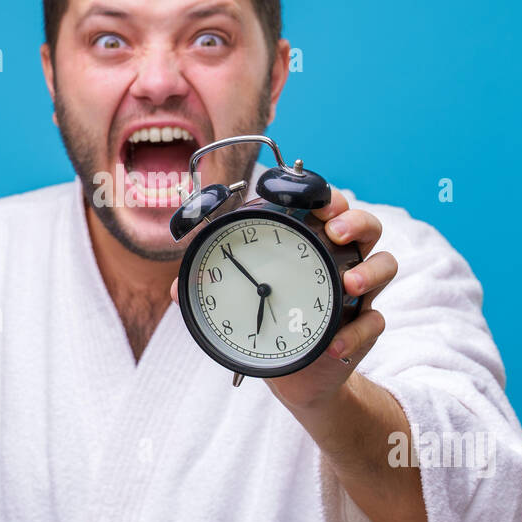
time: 6:54
